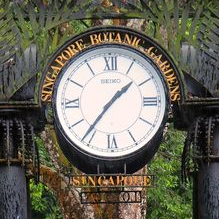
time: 1:36
